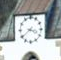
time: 3:38
